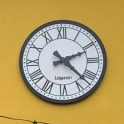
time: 2:22
